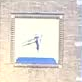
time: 5:40
